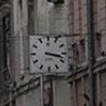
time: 3:17
